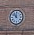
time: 11:52
